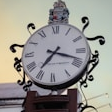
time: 7:18
